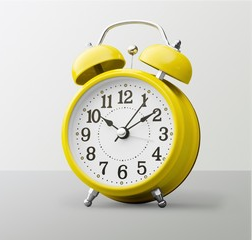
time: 10:09
